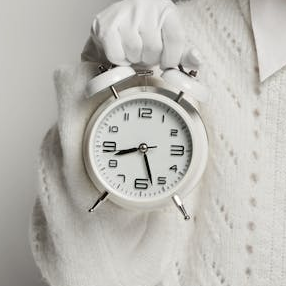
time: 8:27
